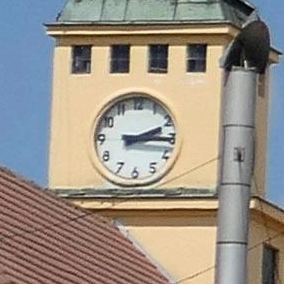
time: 2:15
